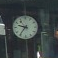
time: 9:36
